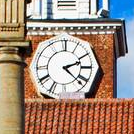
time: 2:21
